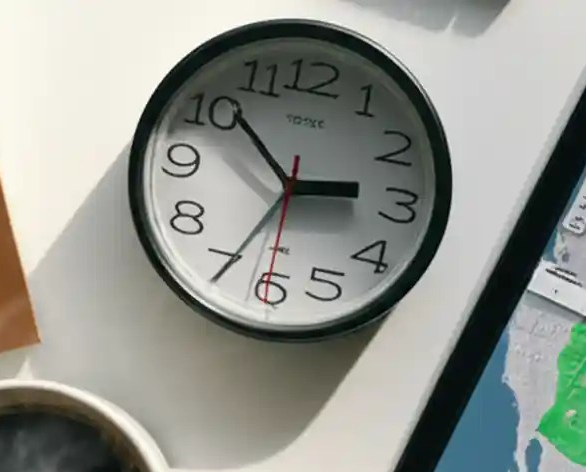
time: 2:51
